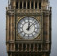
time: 12:07
